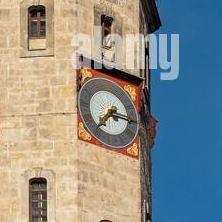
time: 7:15
